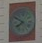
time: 7:49
